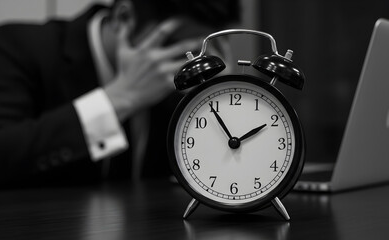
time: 1:54
